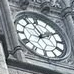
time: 1:56
